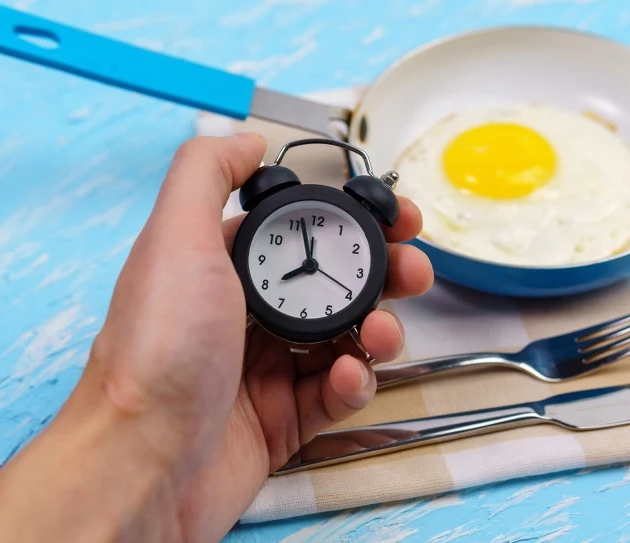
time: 7:57
